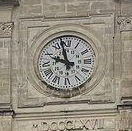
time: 9:57
